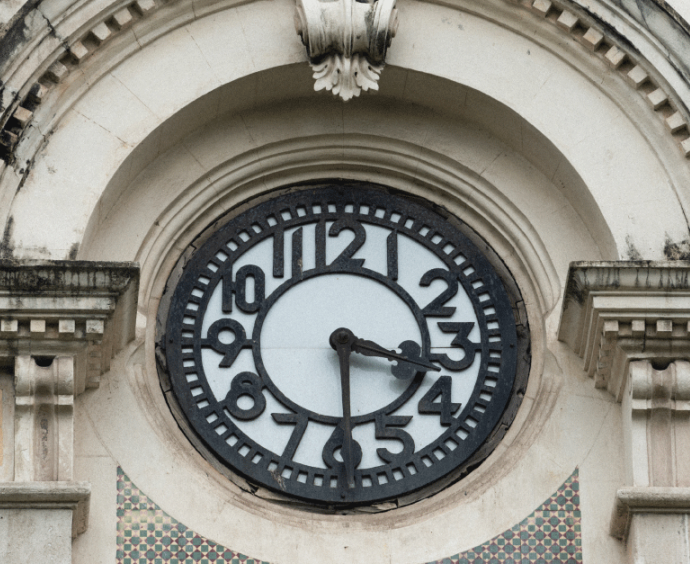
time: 3:29
